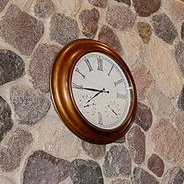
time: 7:44
